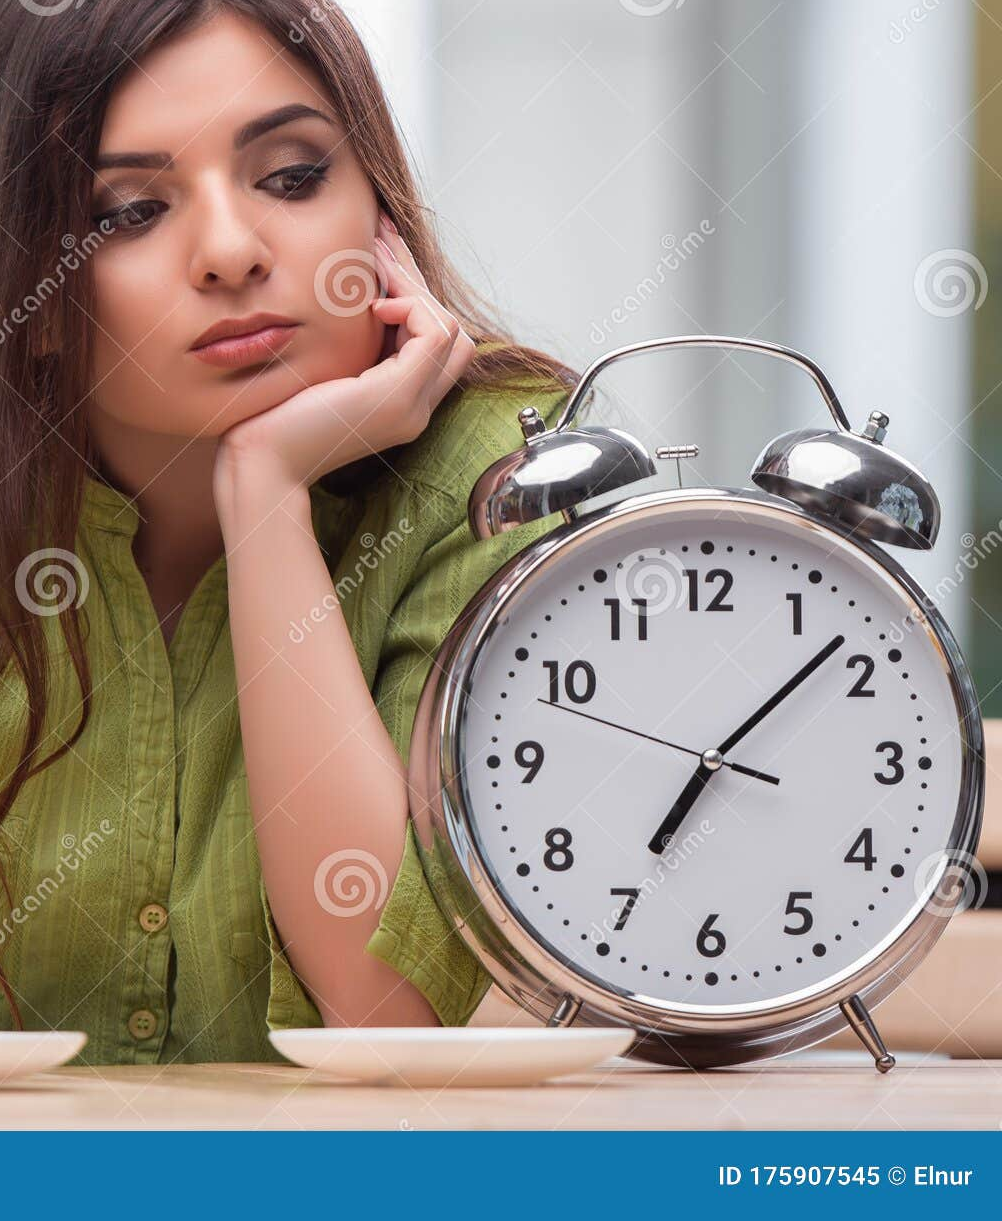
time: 7:07
